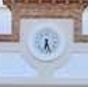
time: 6:26
